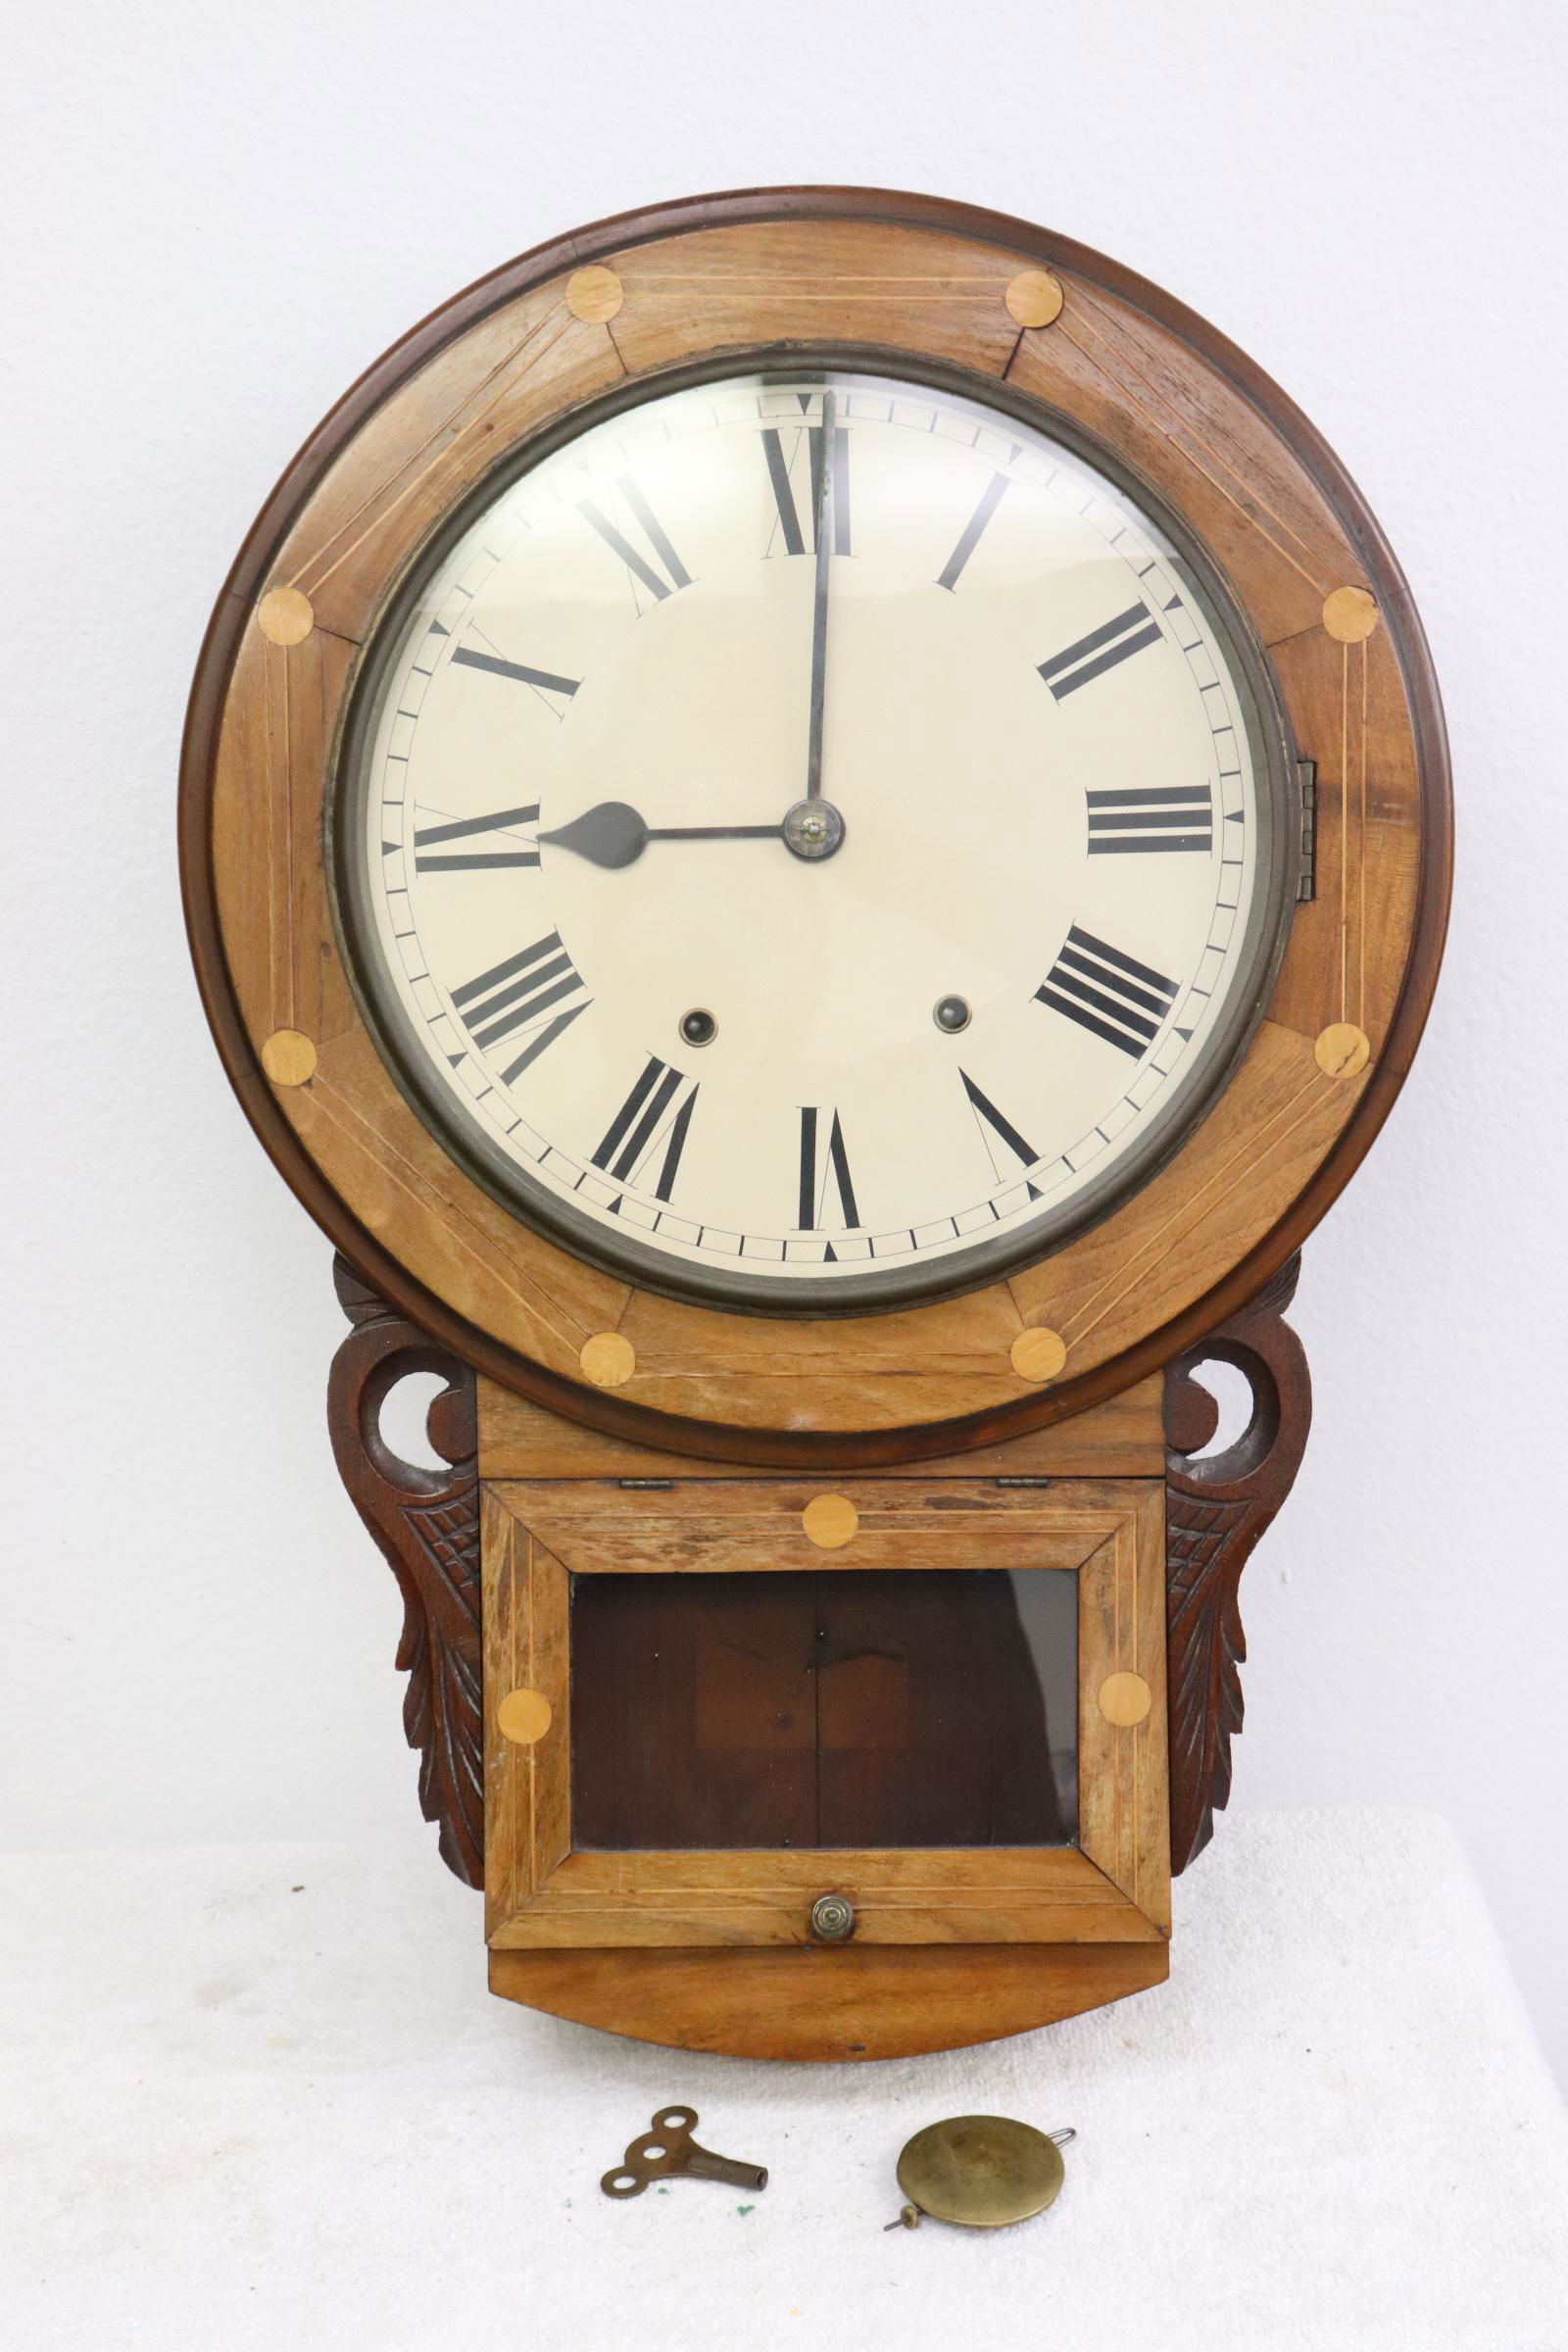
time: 9:00
